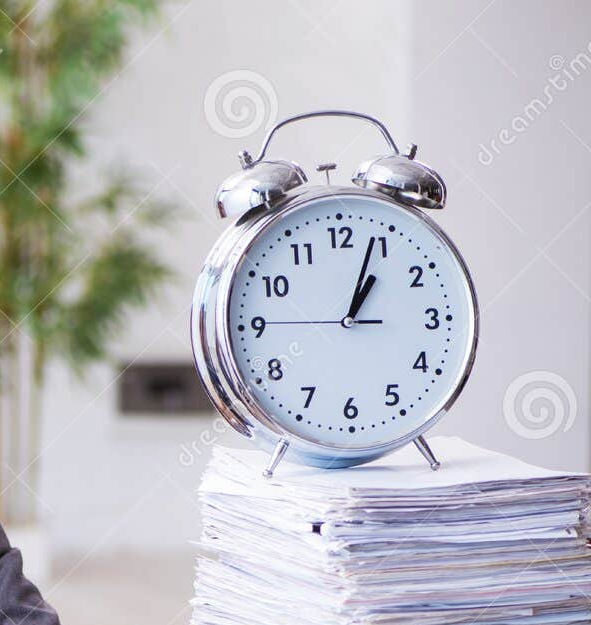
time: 1:03
